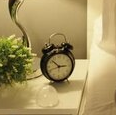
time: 2:52
